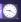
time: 9:20
